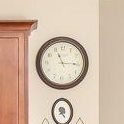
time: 11:14
